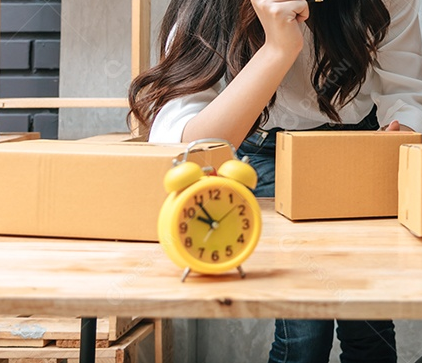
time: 9:54
